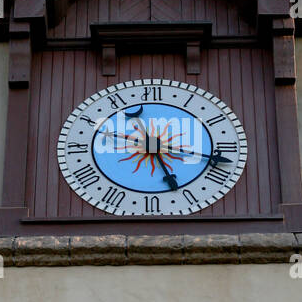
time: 5:16
